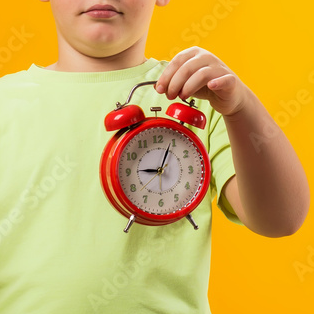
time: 9:04
